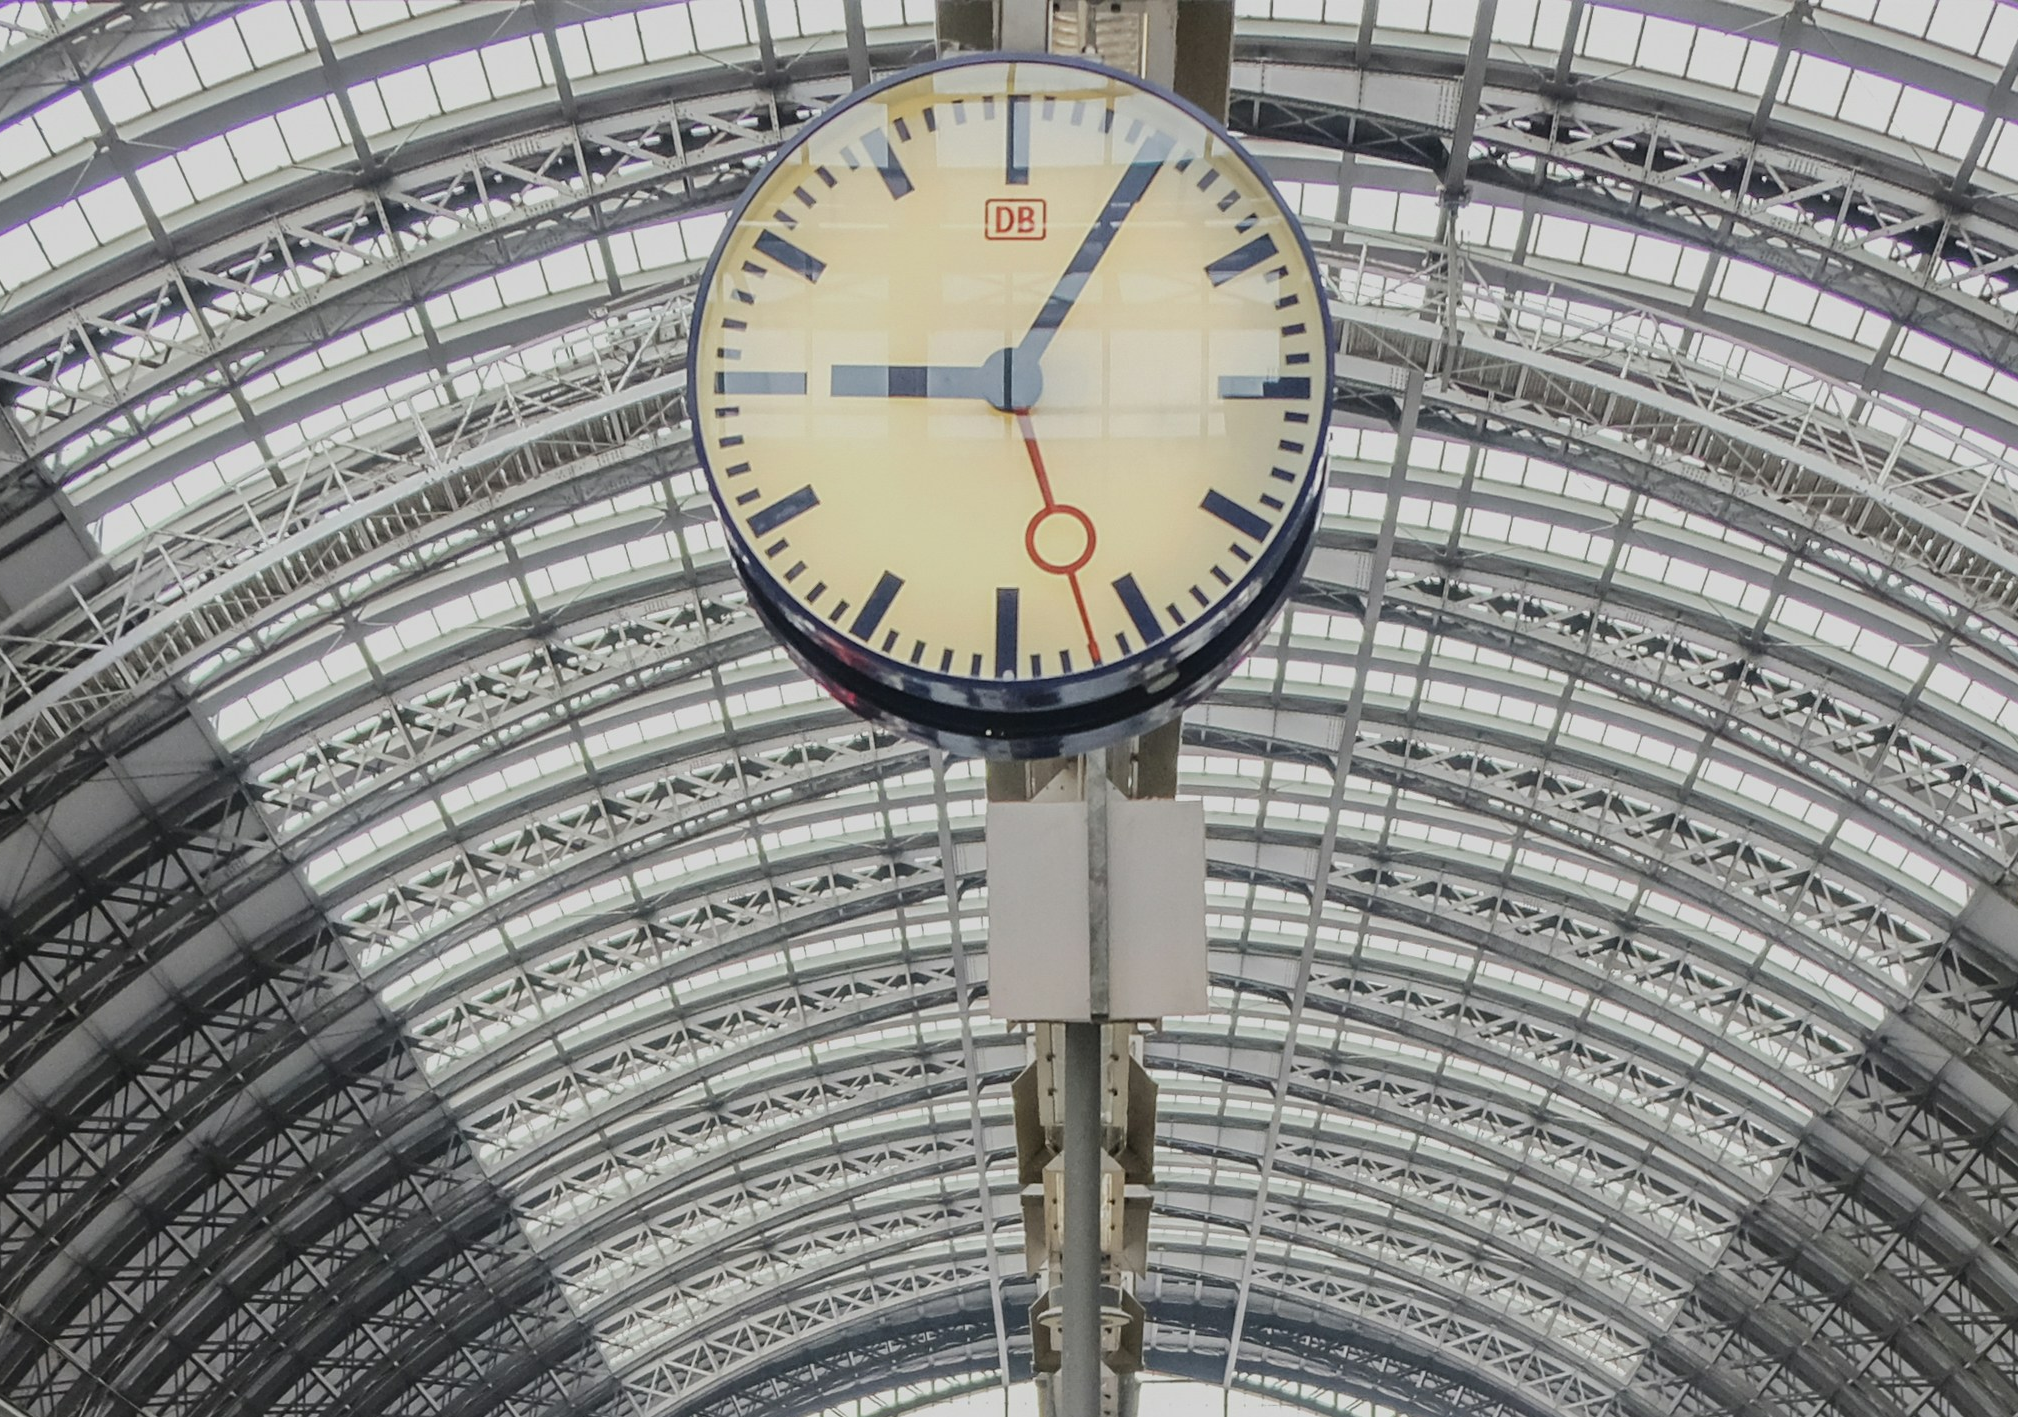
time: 9:05
